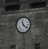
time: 11:21
